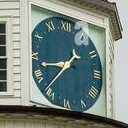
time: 1:42
